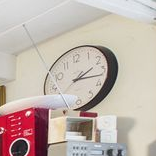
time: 2:17
